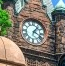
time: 1:18
